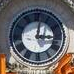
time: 3:01
